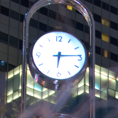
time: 6:14
